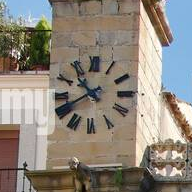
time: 10:39
